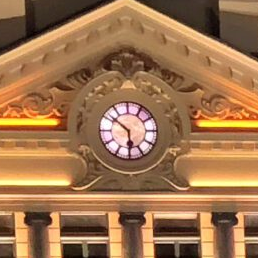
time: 5:51
